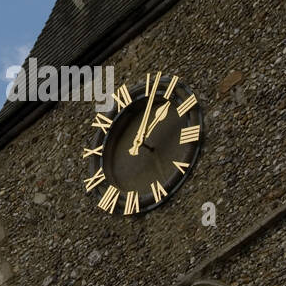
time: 1:02
